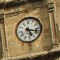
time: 5:17
